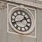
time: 1:41
